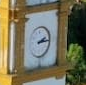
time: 2:14
